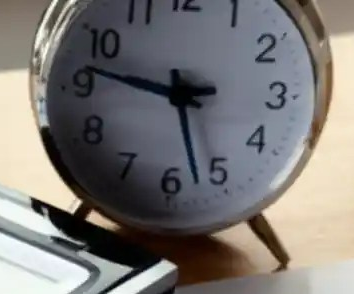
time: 9:27
